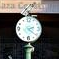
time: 2:21
